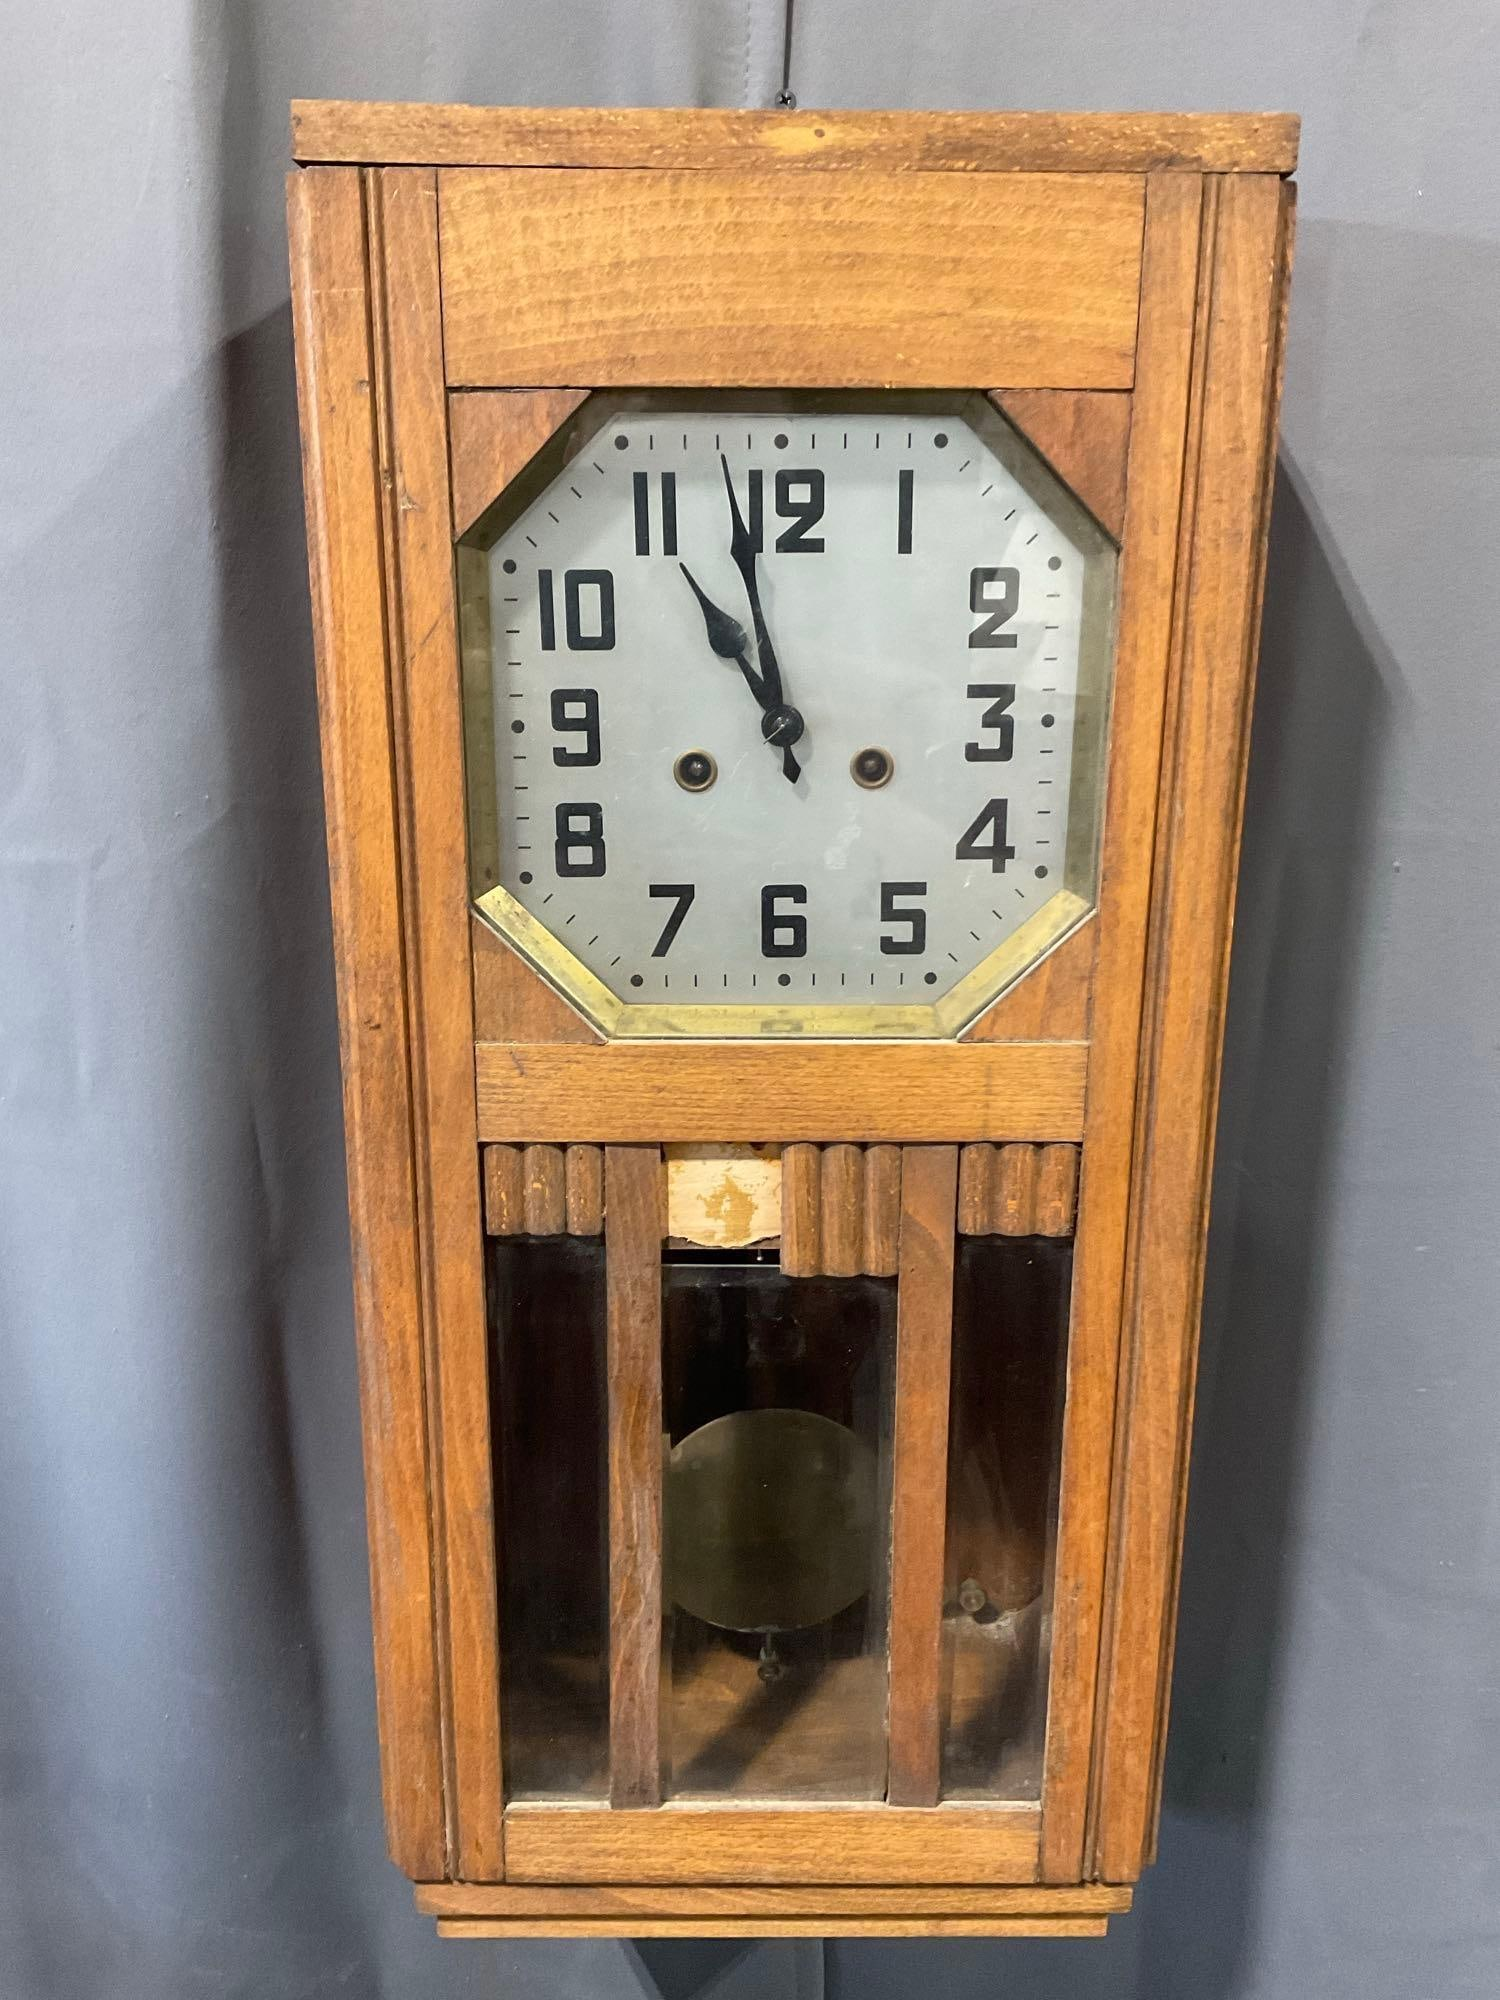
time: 10:58
